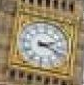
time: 2:18
